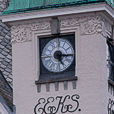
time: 5:15
